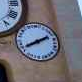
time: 8:11
